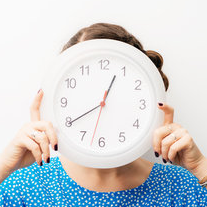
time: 12:39
